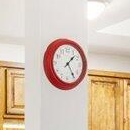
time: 1:24
